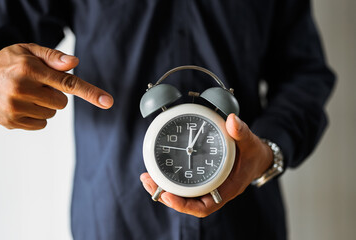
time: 12:04
